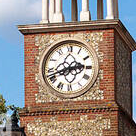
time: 2:41
